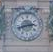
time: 2:41
